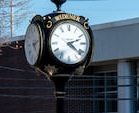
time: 2:21
